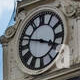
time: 3:47
